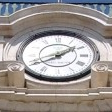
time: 1:40
